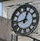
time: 12:43
